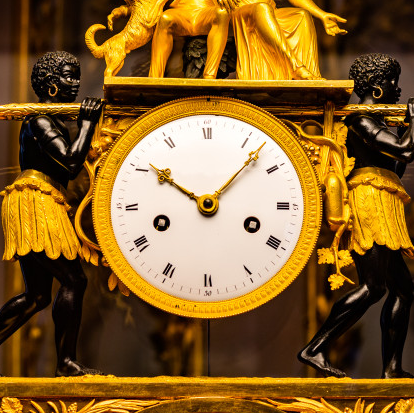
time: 10:07
